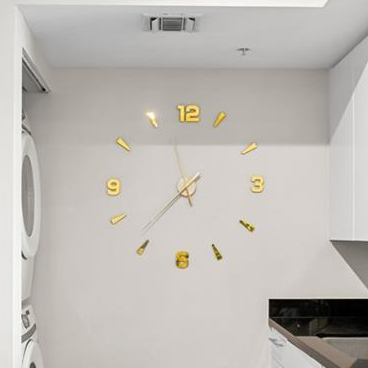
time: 11:36
